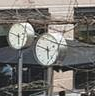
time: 5:47
